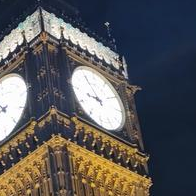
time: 8:54
